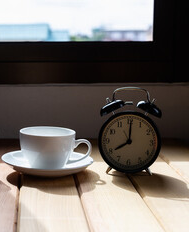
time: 8:00
